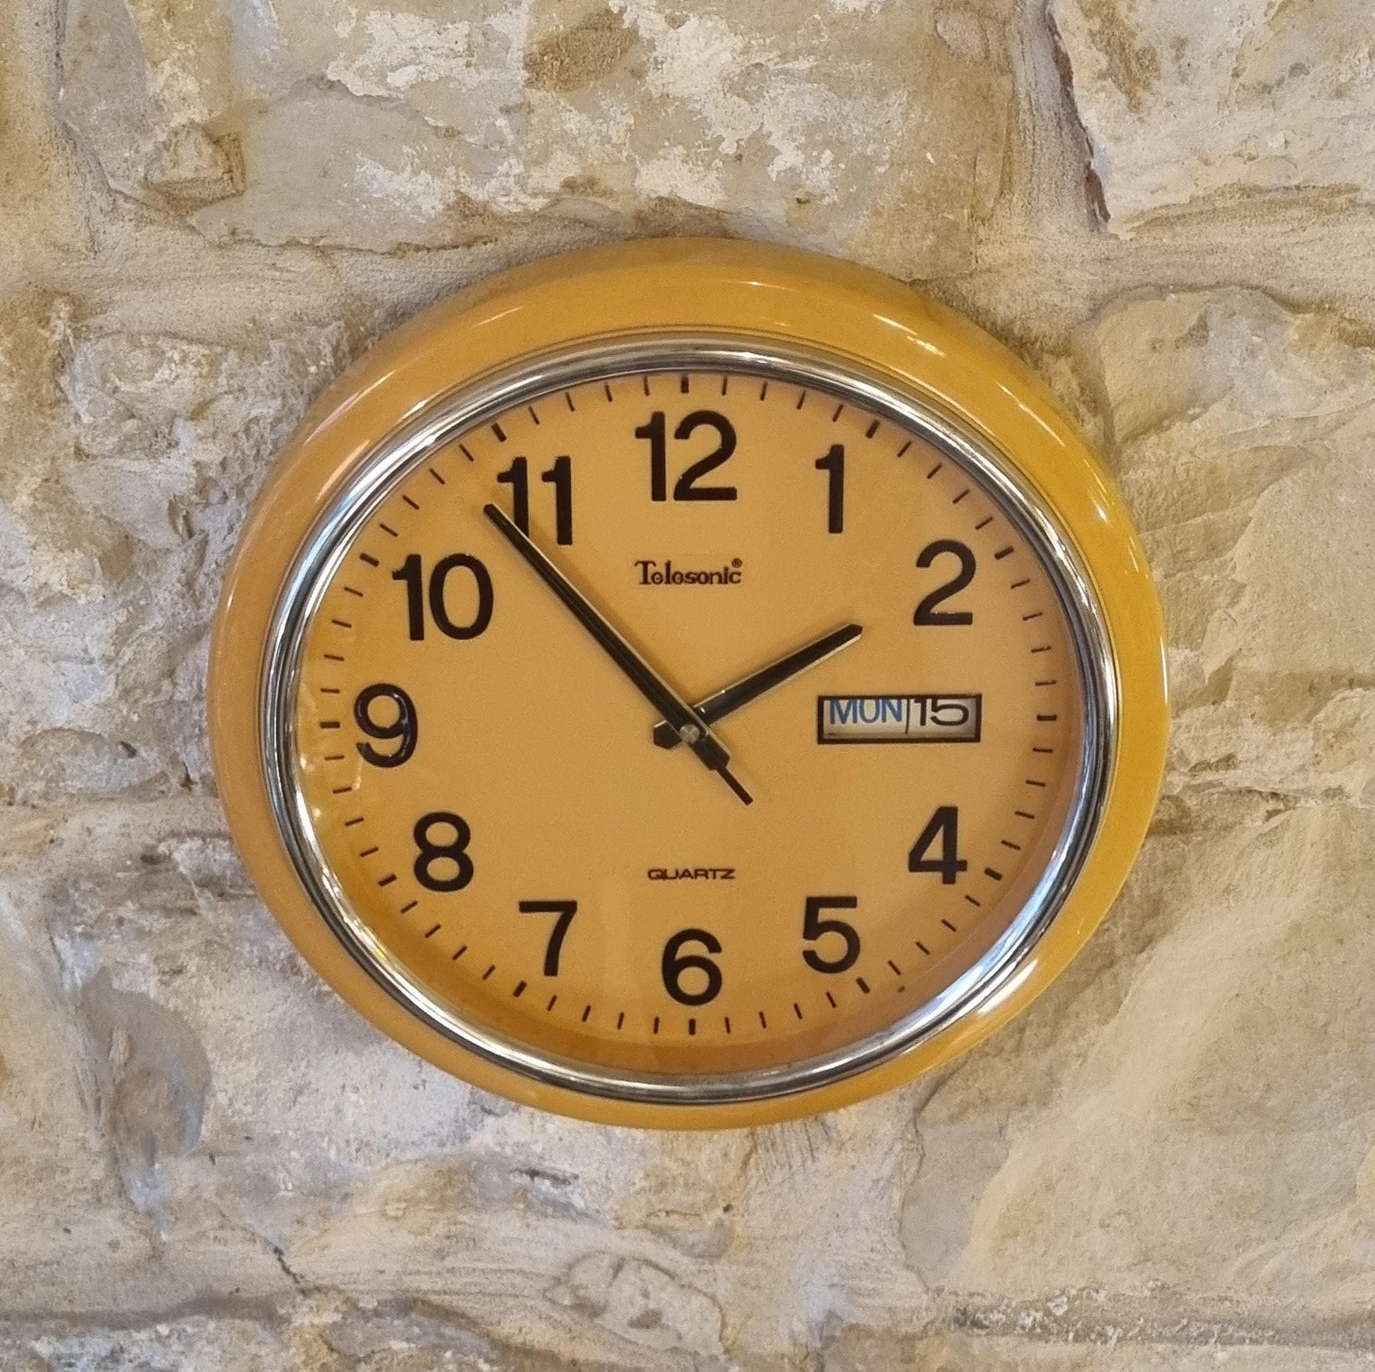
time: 1:53
